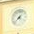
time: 7:37
